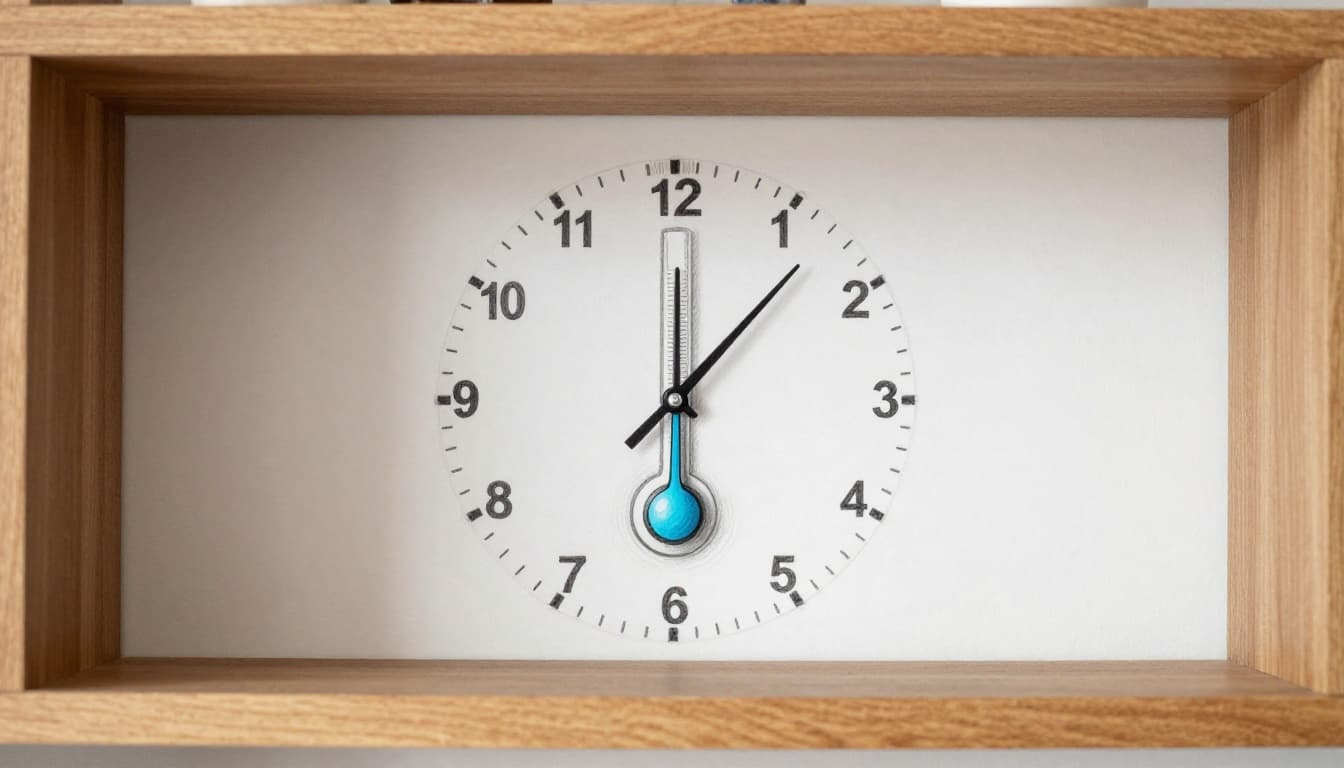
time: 6:06
